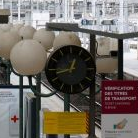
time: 12:42
